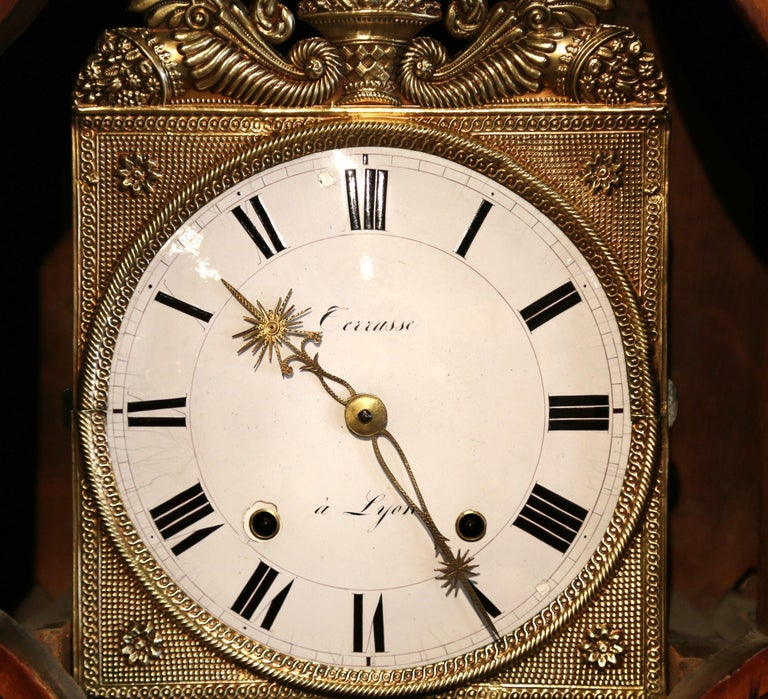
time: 10:24
